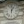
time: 12:59
